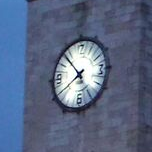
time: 7:53
